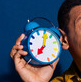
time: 7:01
